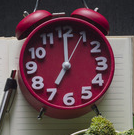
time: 7:00
